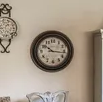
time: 10:16
